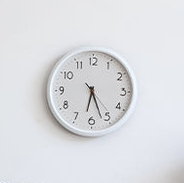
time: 6:26
